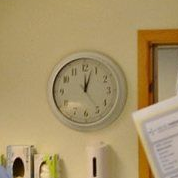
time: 12:03
